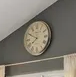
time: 7:49
